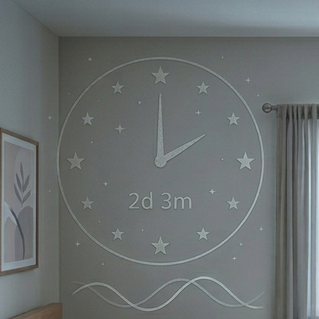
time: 1:59
